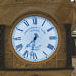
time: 7:32
